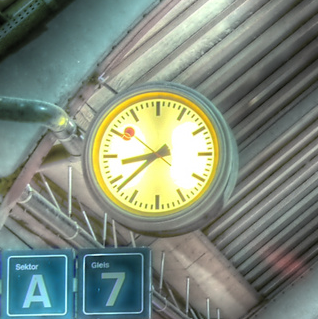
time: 8:38
